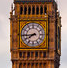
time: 7:43
